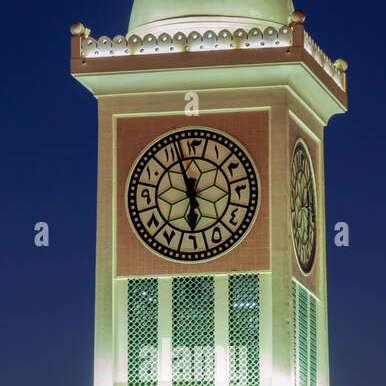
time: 5:56
